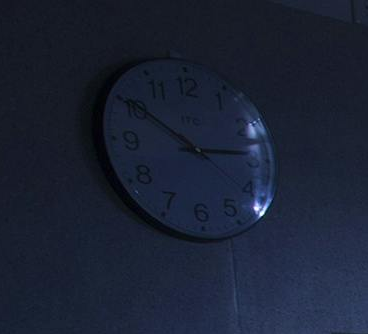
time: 2:50
